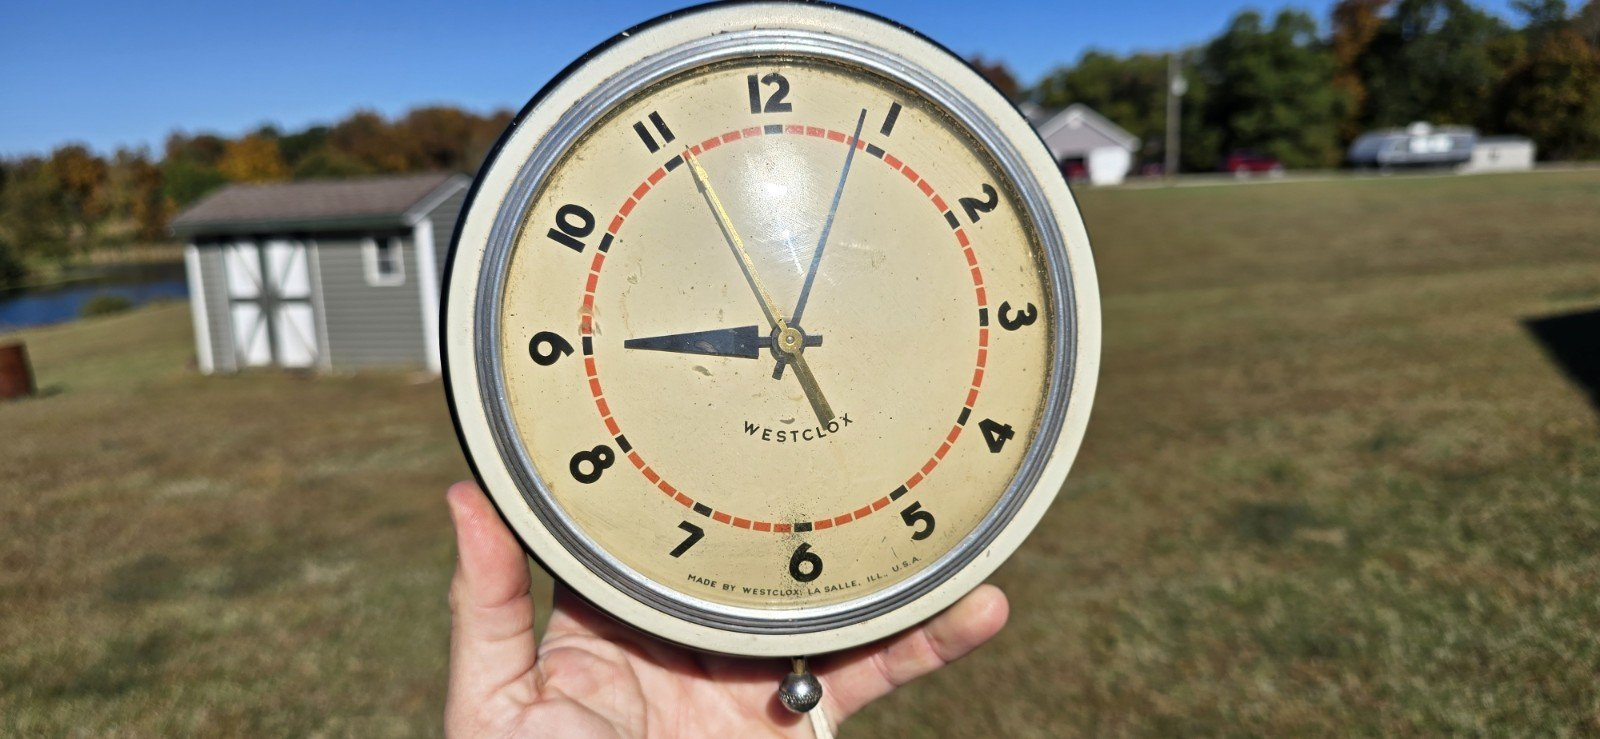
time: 4:45
